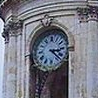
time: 3:22
